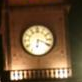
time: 6:18
